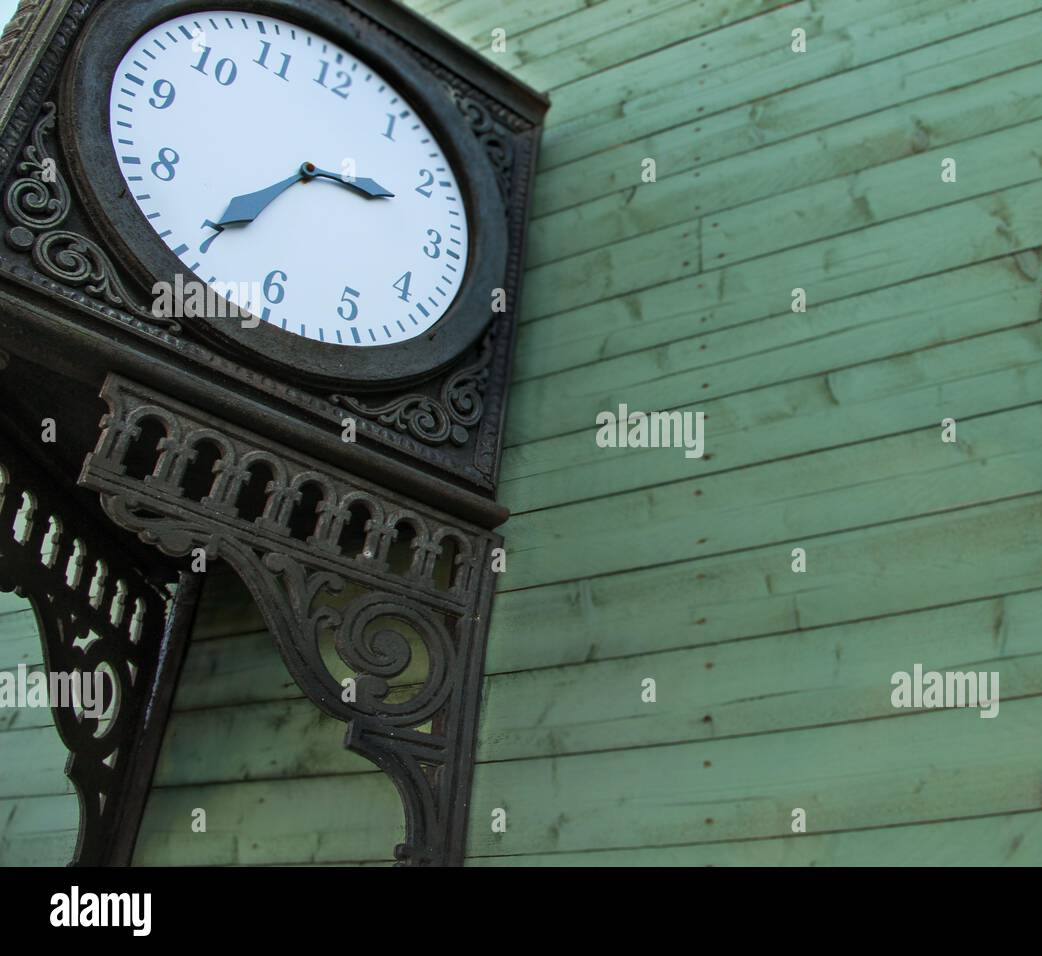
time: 2:35
